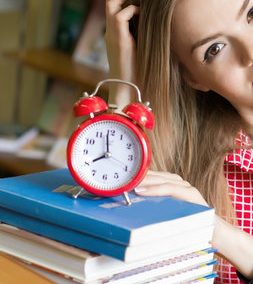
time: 7:59
